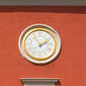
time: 1:54
